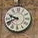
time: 9:41
